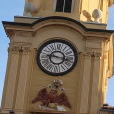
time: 9:16
